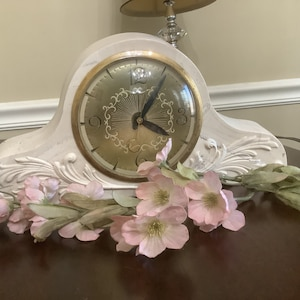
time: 4:05
